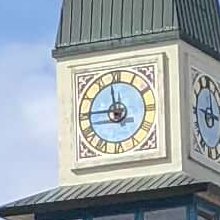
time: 8:58
